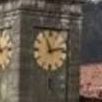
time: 11:12
